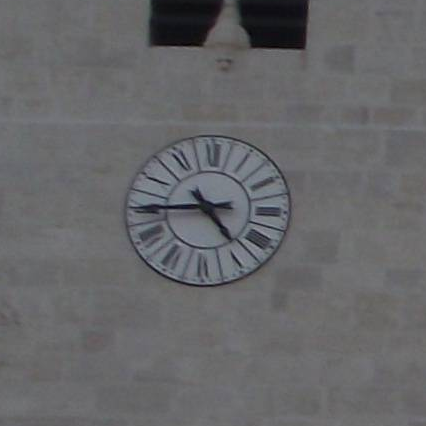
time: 4:44
